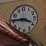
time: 3:45
